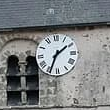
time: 1:34
